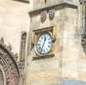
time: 12:33
